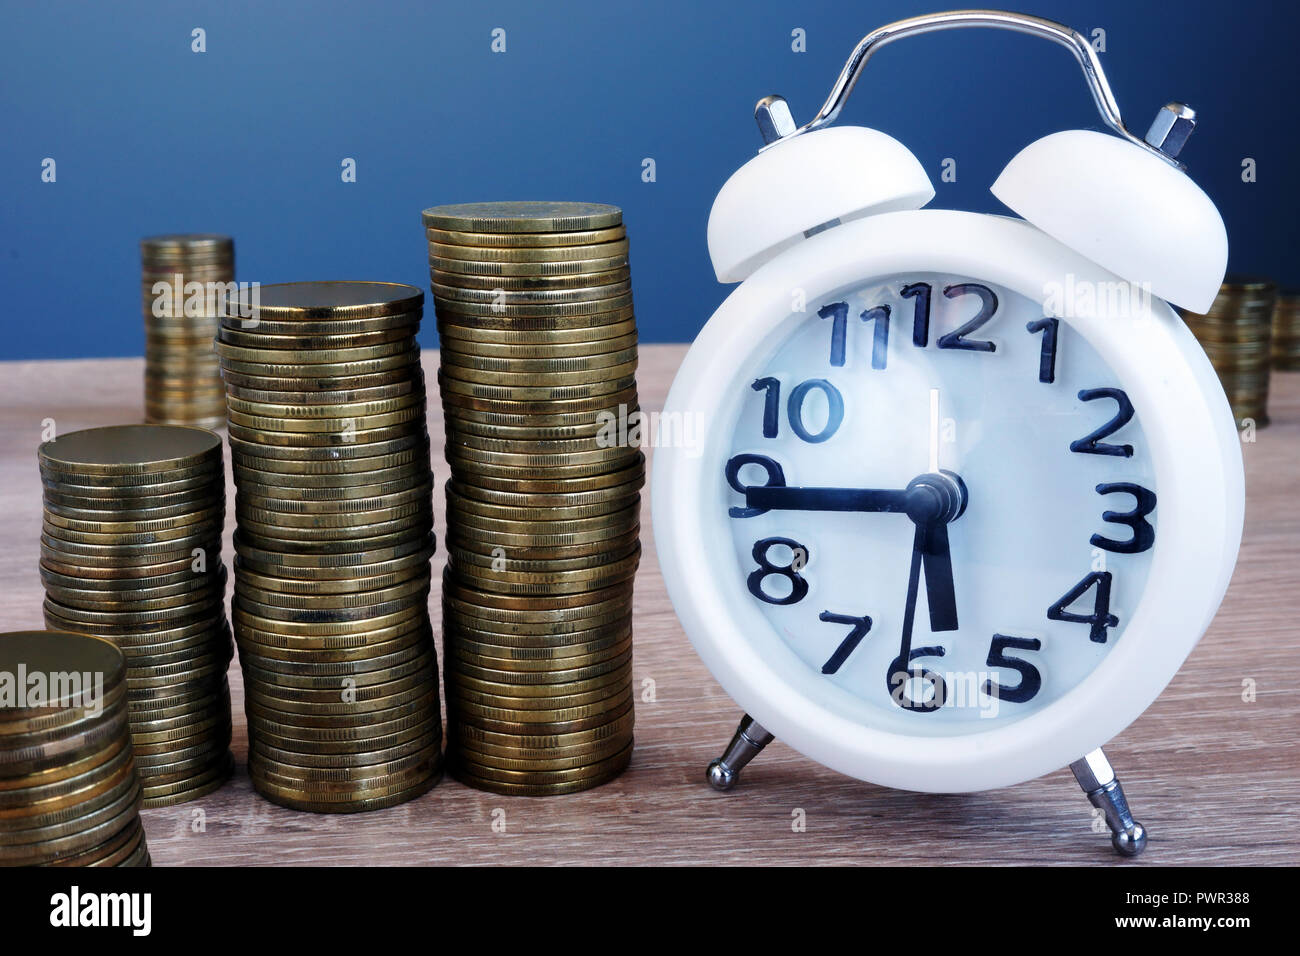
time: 5:44
